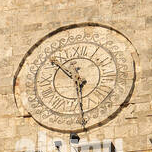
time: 10:28
